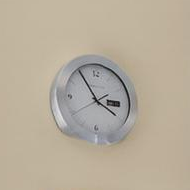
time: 3:54
